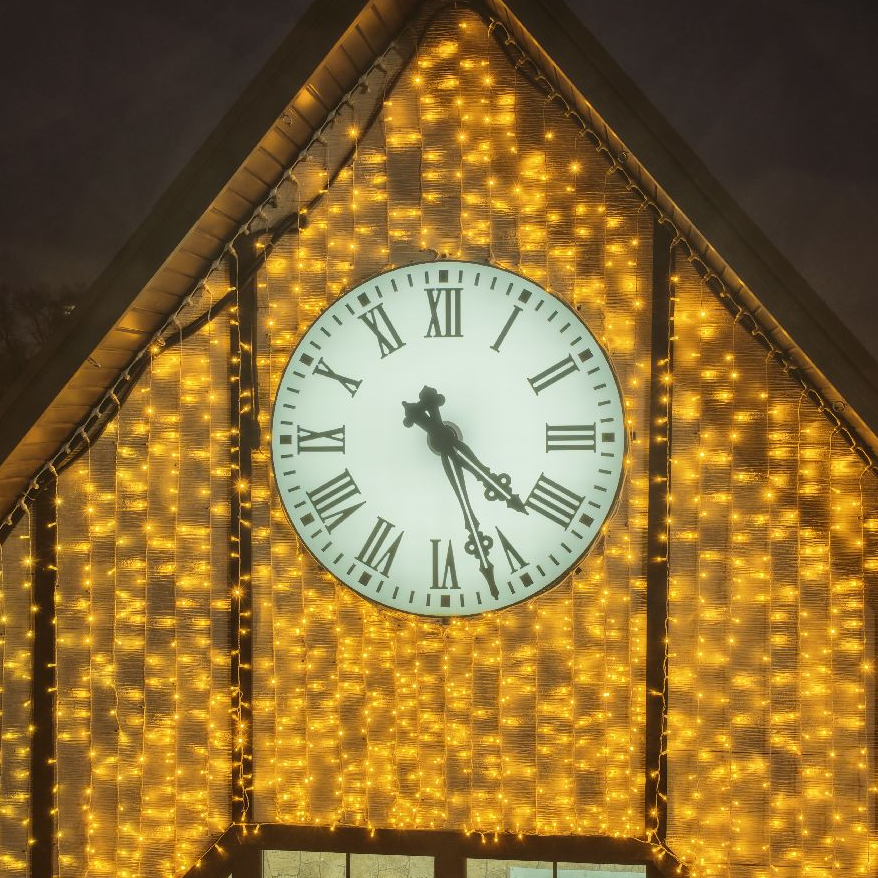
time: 4:26
